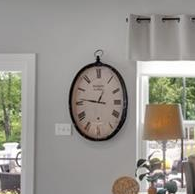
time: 12:46
